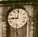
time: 9:01
